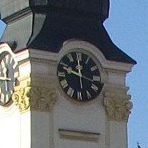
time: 11:48
